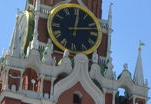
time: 12:12
